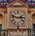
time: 2:48
